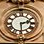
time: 2:29
